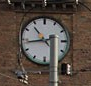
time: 10:43
